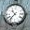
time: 10:37
